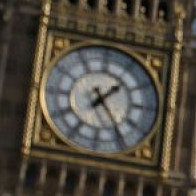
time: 1:24
